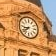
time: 8:38
